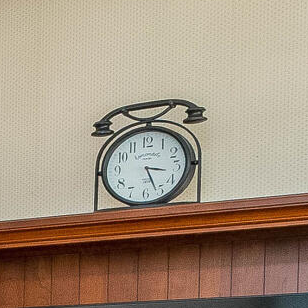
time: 3:26
